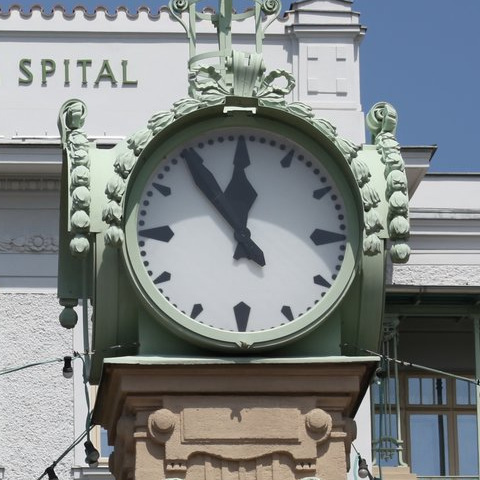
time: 11:54
